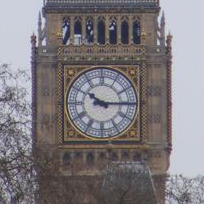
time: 10:15
